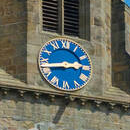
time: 2:43
